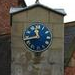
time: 11:42
